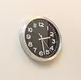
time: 2:28
